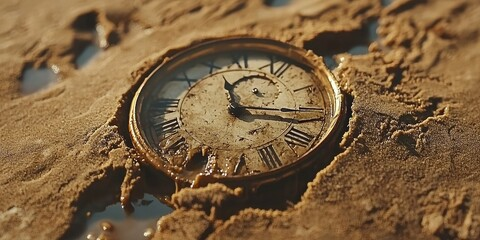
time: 11:17
